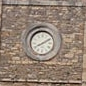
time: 8:10
